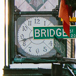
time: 2:42
